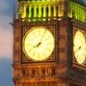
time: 8:04
